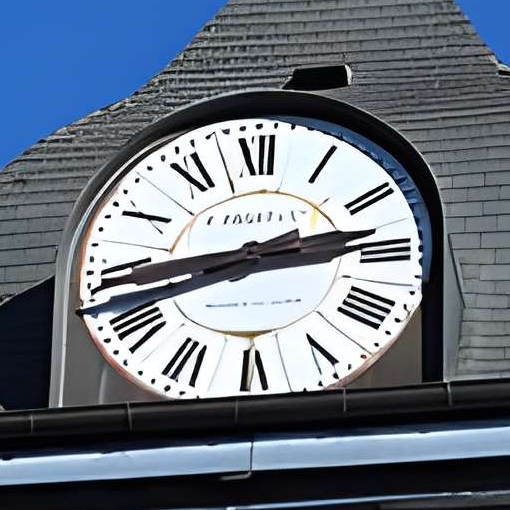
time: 2:42
